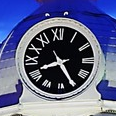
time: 8:25
